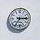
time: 7:15
